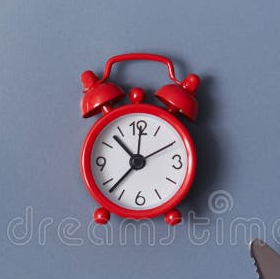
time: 10:37
